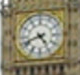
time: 4:41
